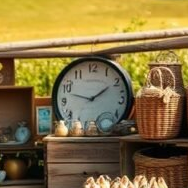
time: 1:47
